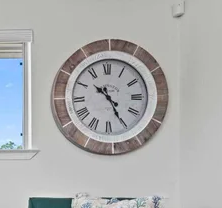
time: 10:25
